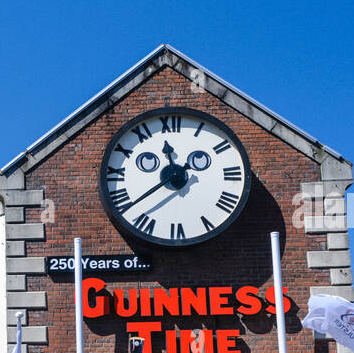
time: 11:38
